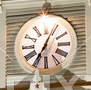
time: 7:04
